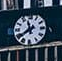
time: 11:38
